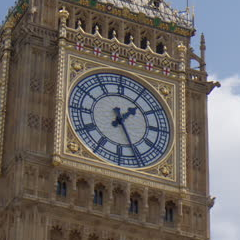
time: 1:26
